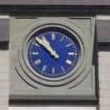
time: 10:51
